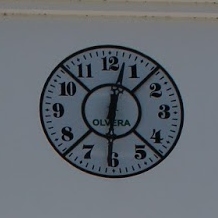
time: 12:30
